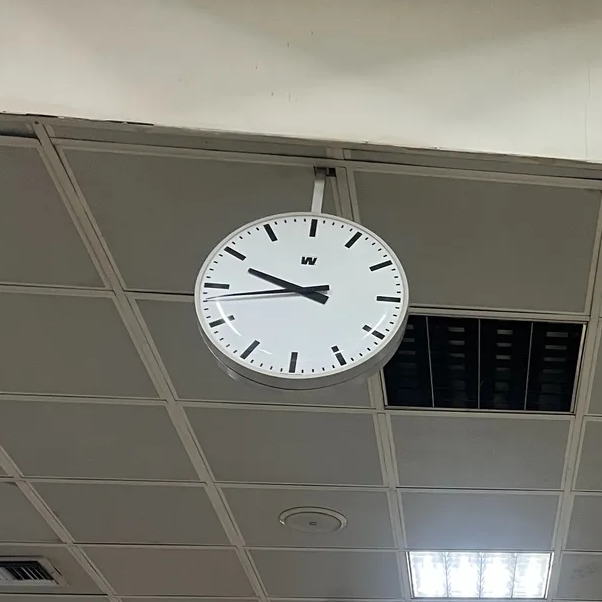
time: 9:43
